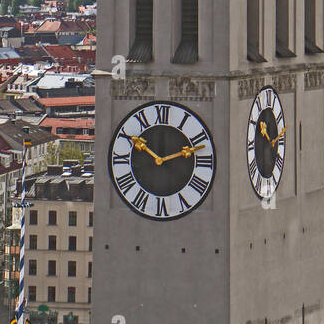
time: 10:11
